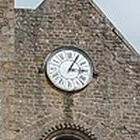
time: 3:04
